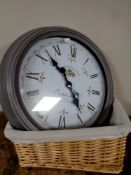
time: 10:23
